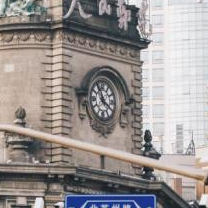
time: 11:20
